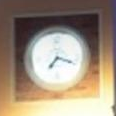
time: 7:18
